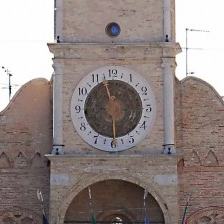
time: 11:29
